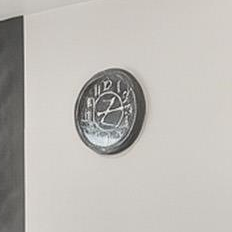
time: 1:13
